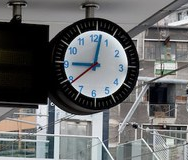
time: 9:01
